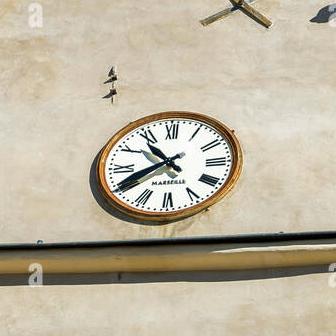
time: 10:40
